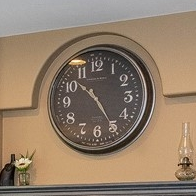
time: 10:24
